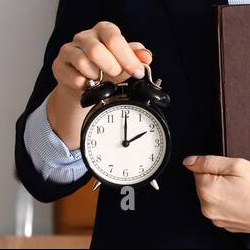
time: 2:00
